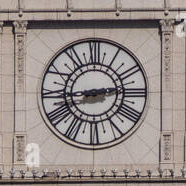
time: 2:44
